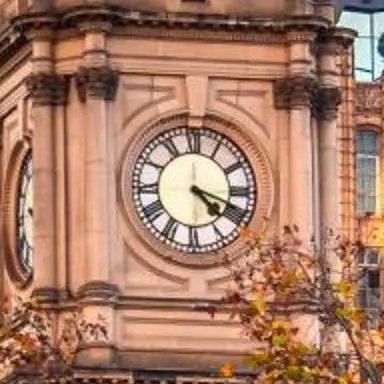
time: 4:18
